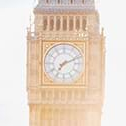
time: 7:11
